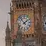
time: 1:53
